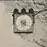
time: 4:33
